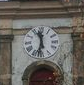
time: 11:32
